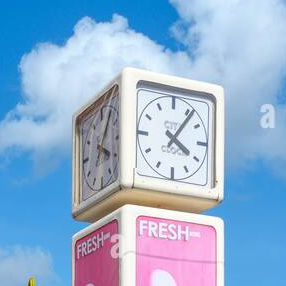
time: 4:06
